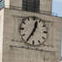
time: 12:34
